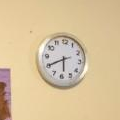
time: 5:40
